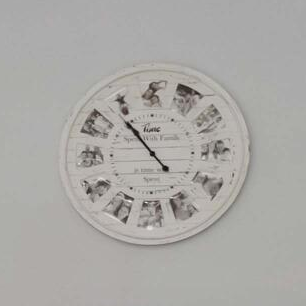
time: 10:53
